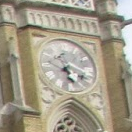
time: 5:18
